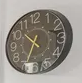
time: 10:34
